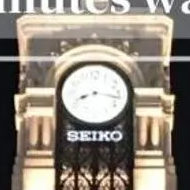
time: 8:16
